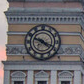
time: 4:19
